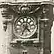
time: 4:35
